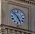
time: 4:52
